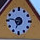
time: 6:46
